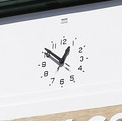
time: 12:51
